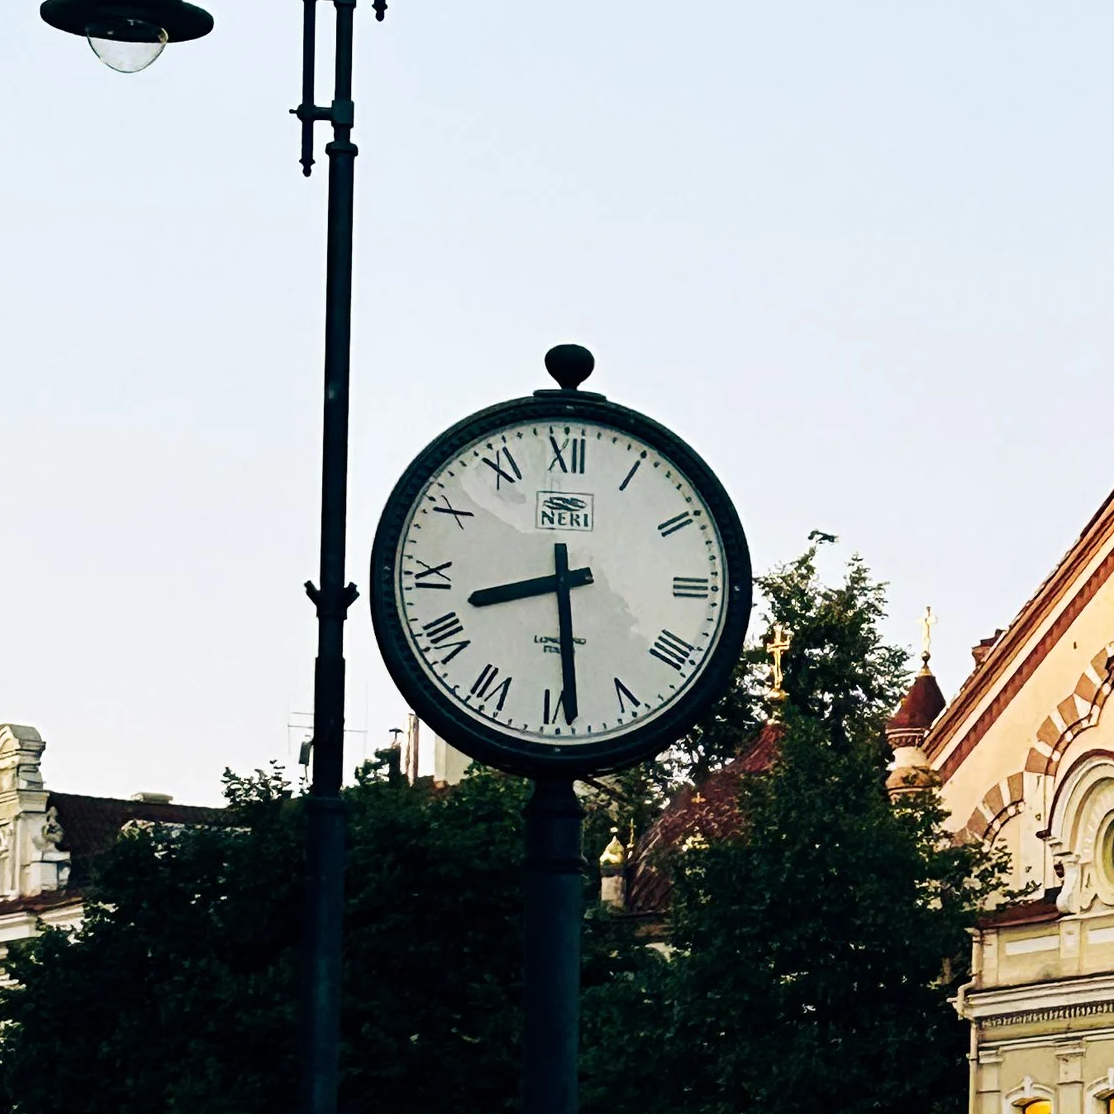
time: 8:29
